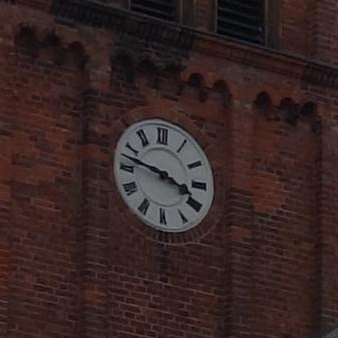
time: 3:47
